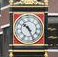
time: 10:26
